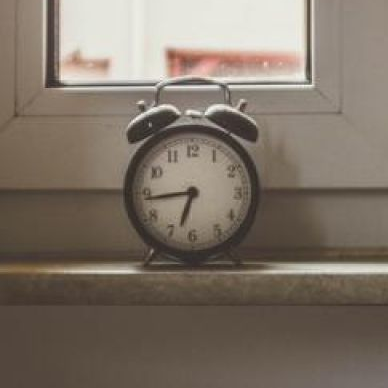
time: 6:43
